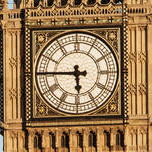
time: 5:45
